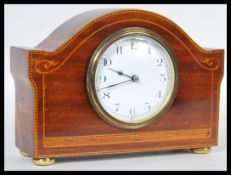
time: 9:42
